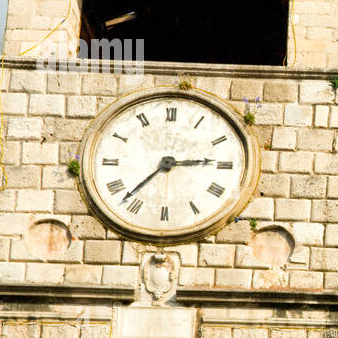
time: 2:37
